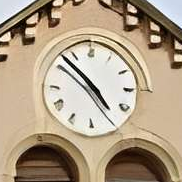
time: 4:52
